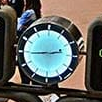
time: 2:44
